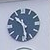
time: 10:28
